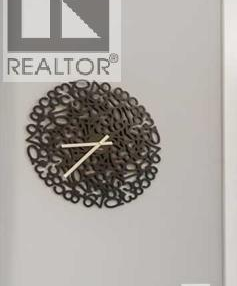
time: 8:38
